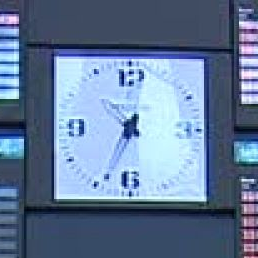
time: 12:33
